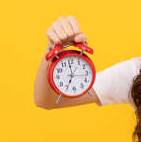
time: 6:59
